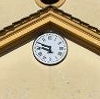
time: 5:49
